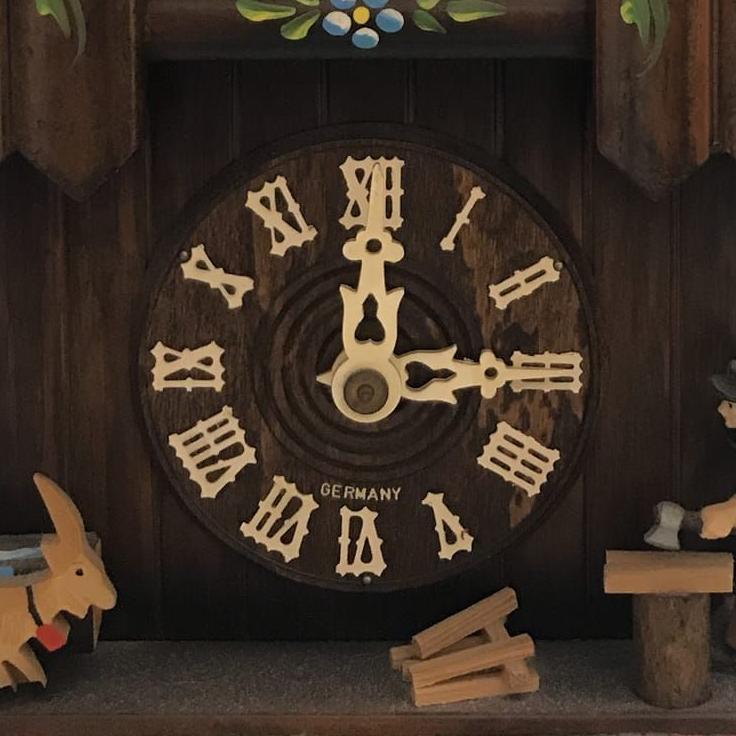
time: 12:14
